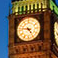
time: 4:46
